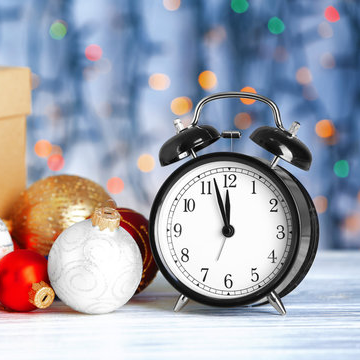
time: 11:57
